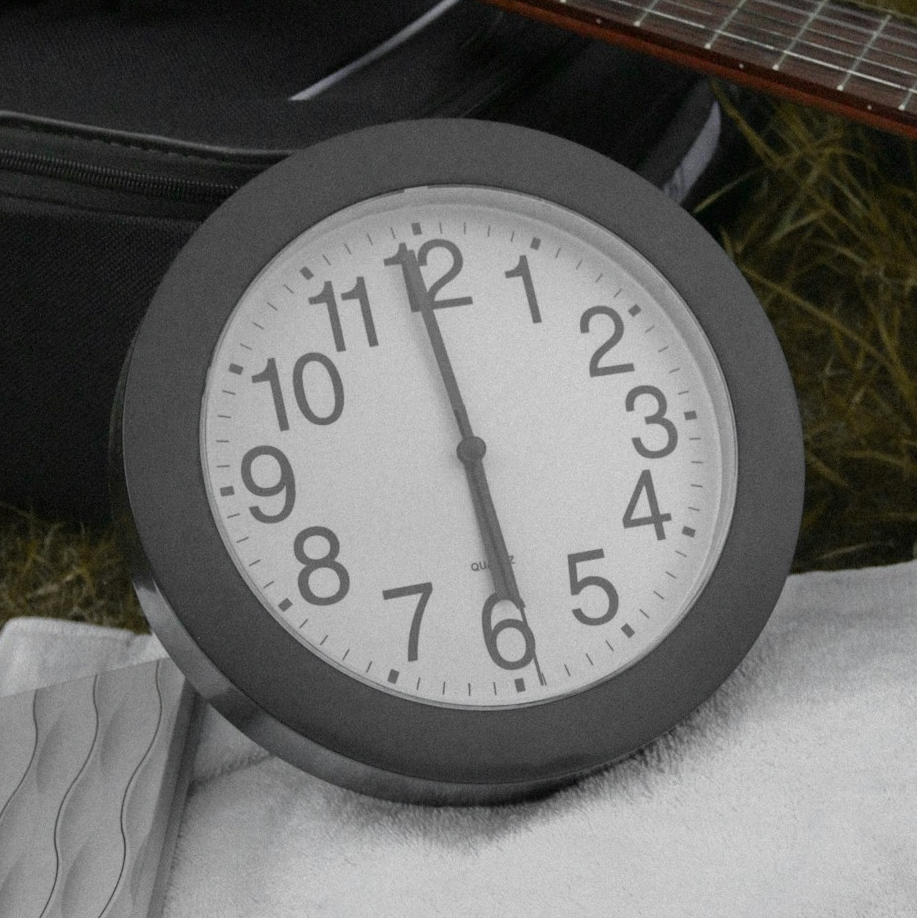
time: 5:59
